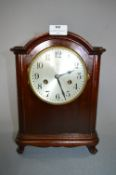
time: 2:26
